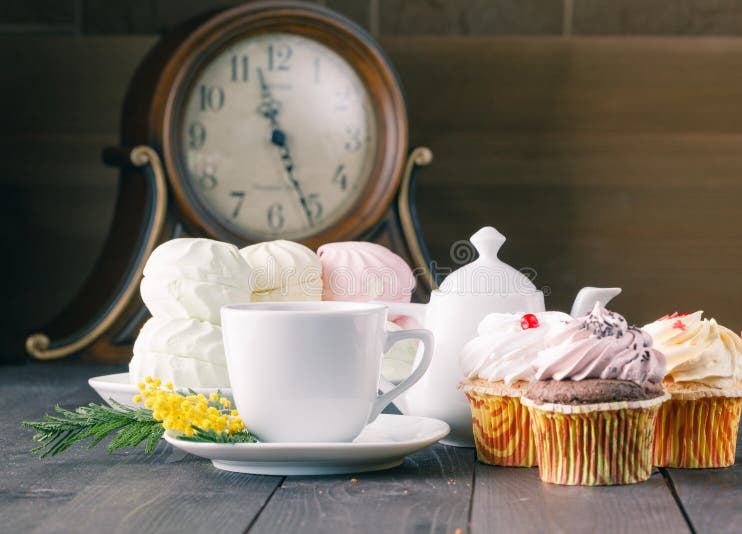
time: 11:25
